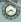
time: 3:40
